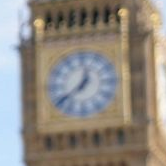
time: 12:38
